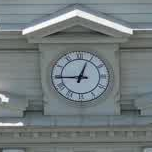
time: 12:45
